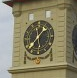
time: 1:36
